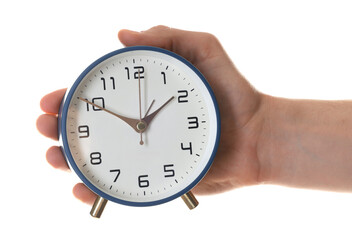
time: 1:50
